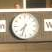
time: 7:33
